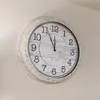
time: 11:56
